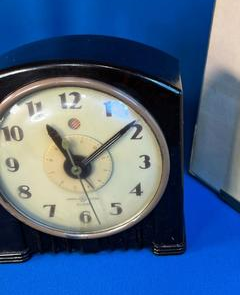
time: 11:08
